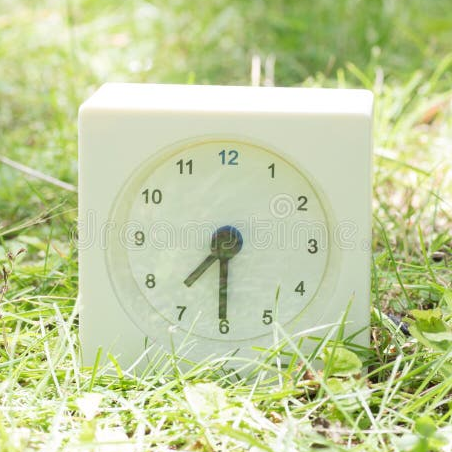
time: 7:29
